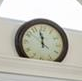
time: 11:57
